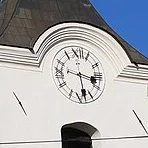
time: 3:28
